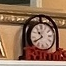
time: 10:40
